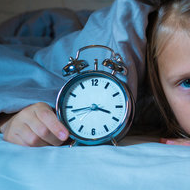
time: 3:43
